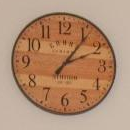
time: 2:06
